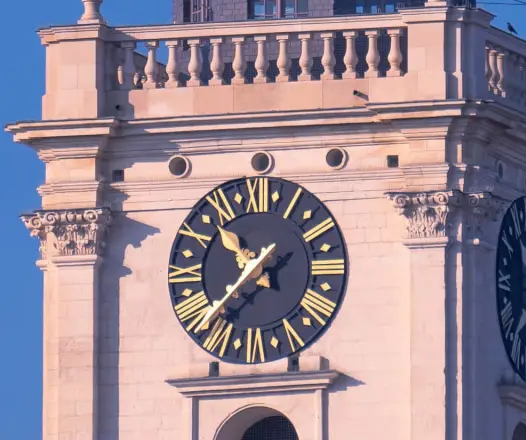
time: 10:37
